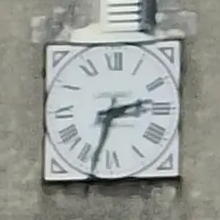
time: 2:33
